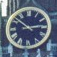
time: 2:51
